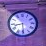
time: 8:29
